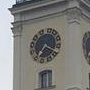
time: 7:19
